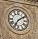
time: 7:09
